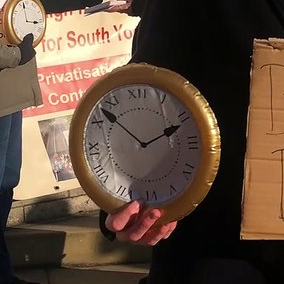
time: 1:52
